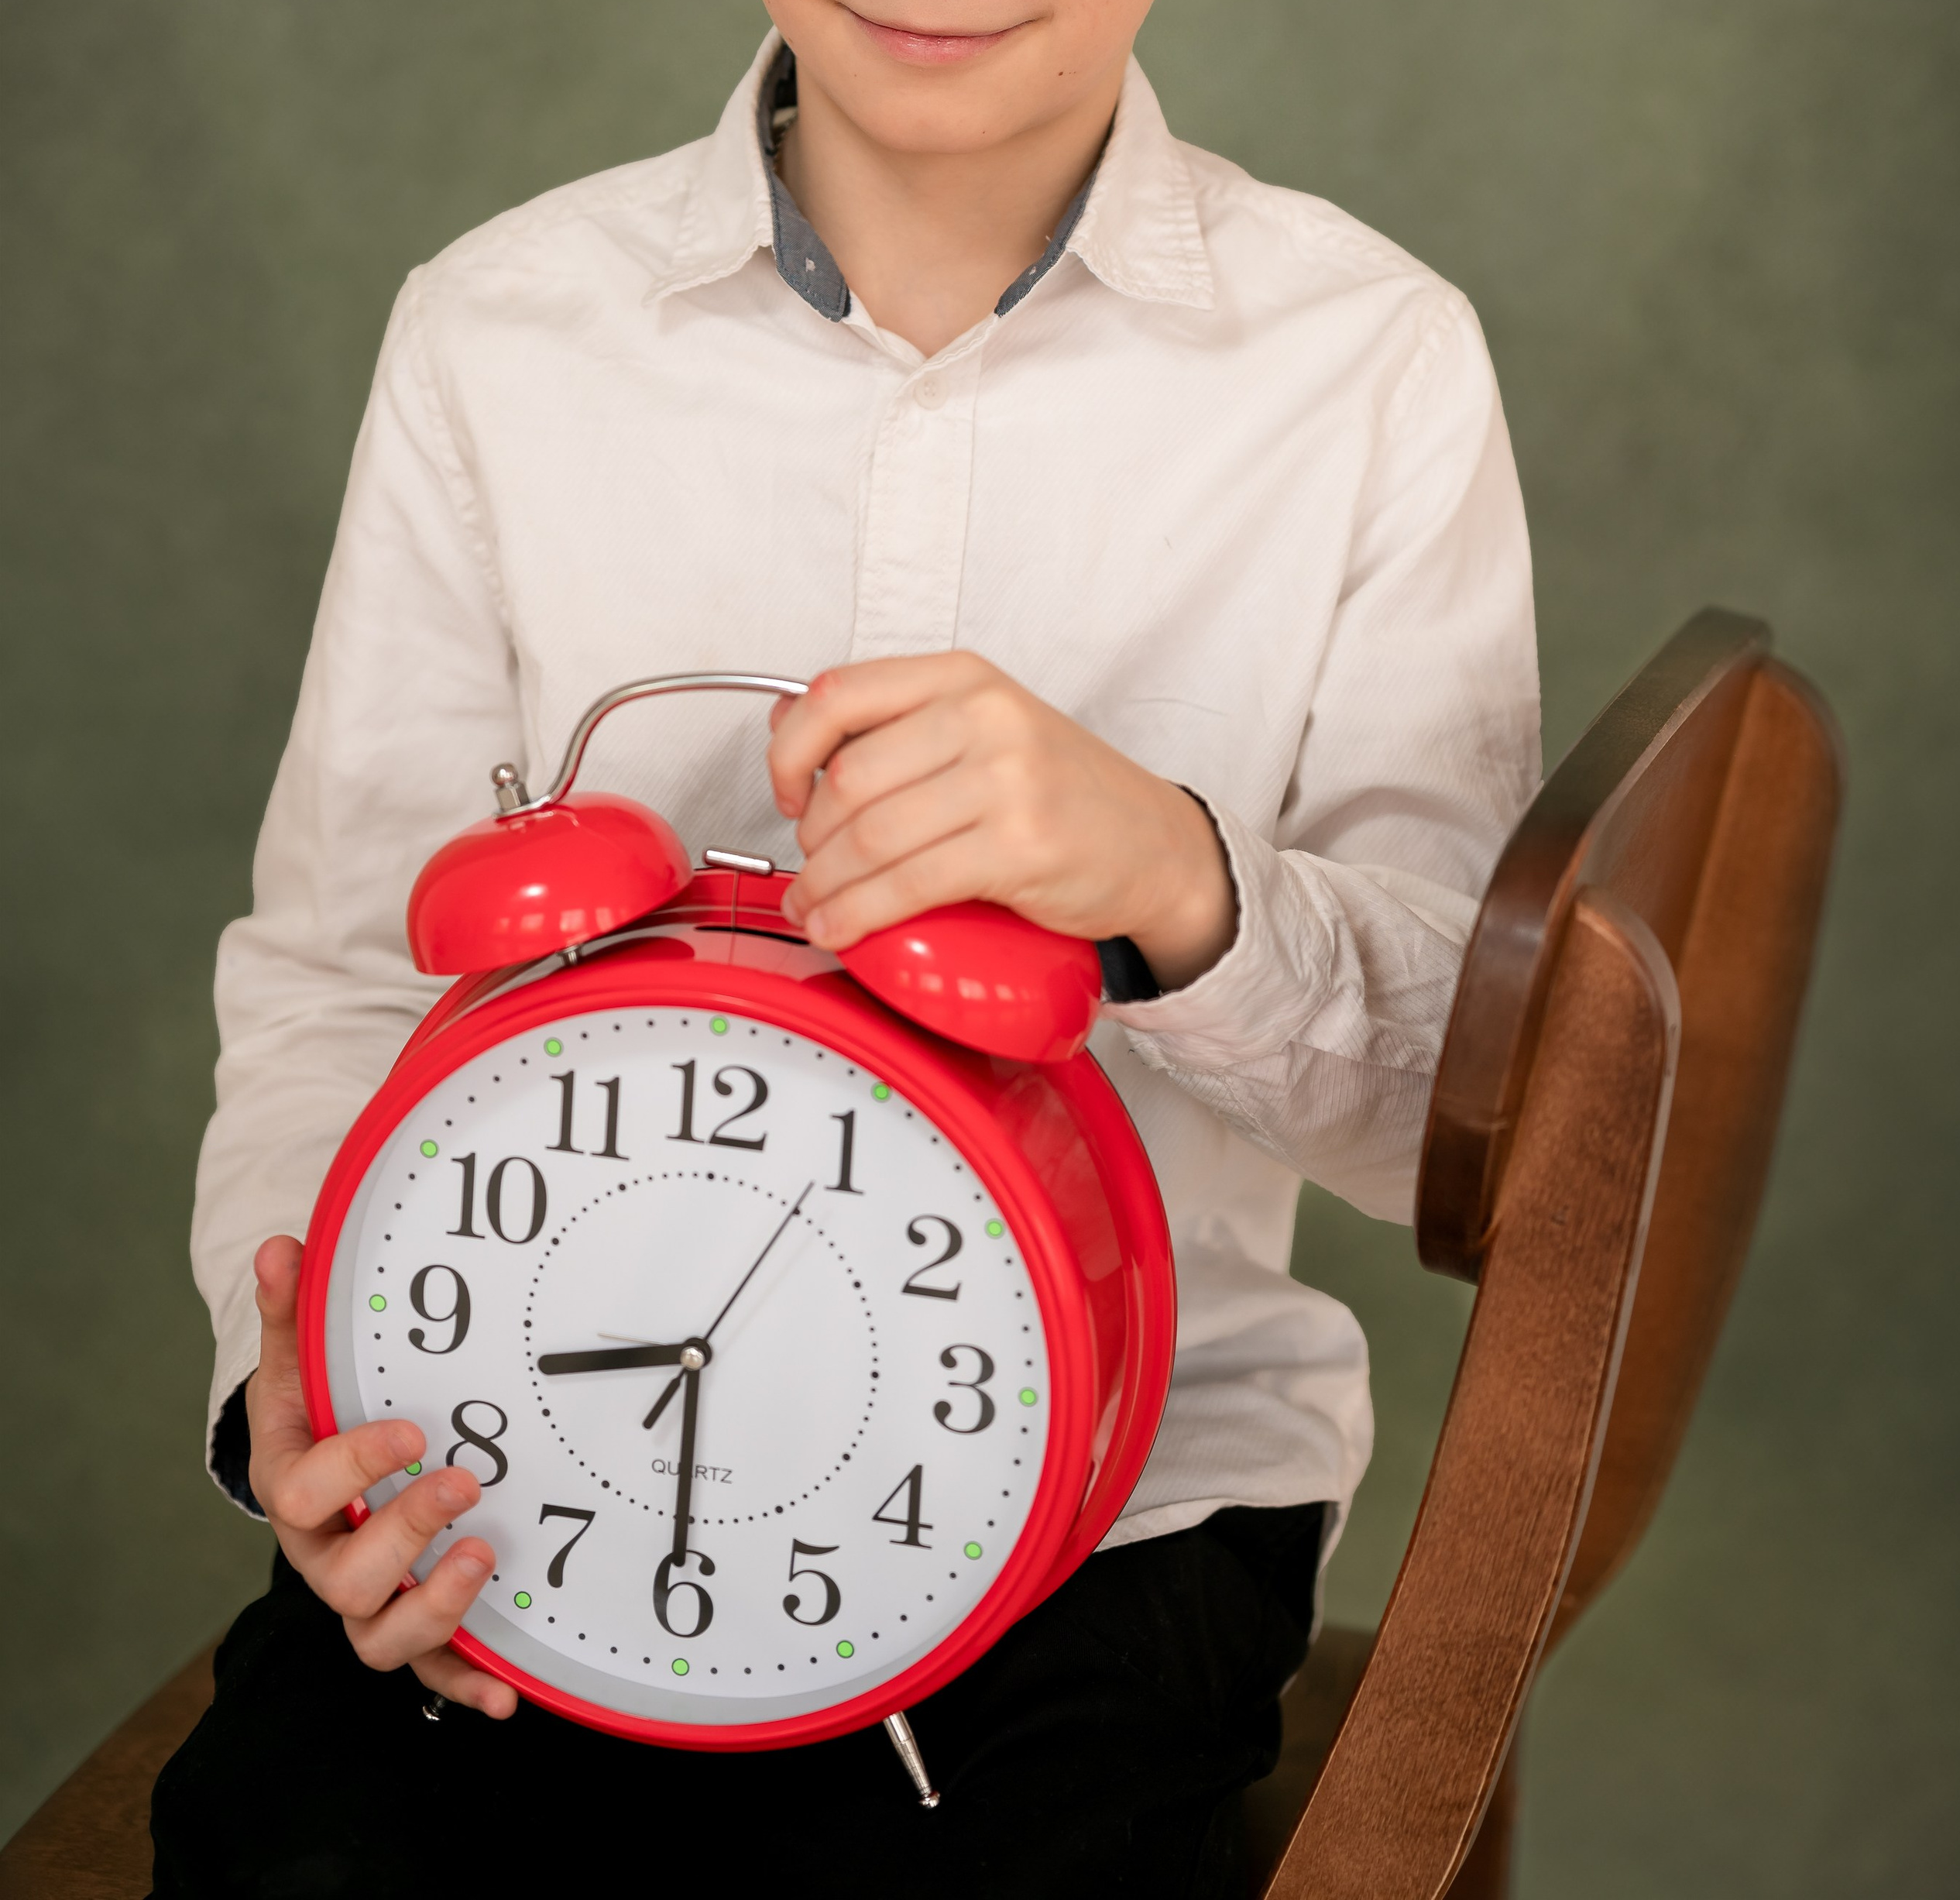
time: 8:30
